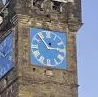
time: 2:53
